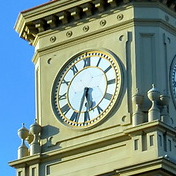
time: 5:33
